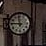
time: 11:45
